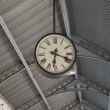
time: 6:18
